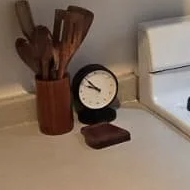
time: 9:51
